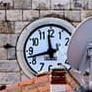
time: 11:42
